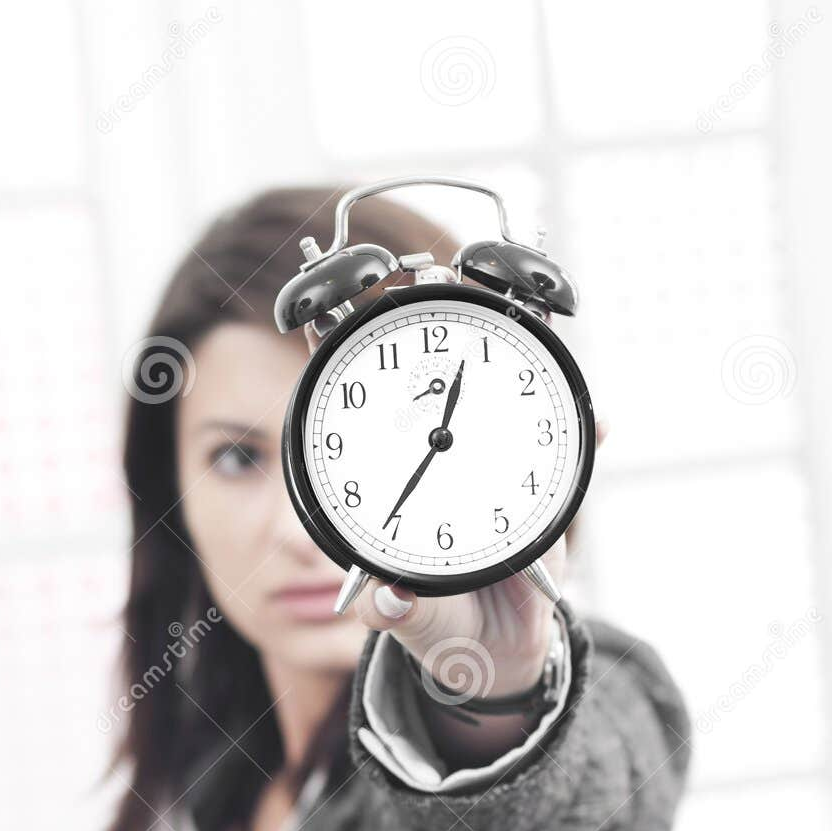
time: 12:36
